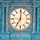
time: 7:01
